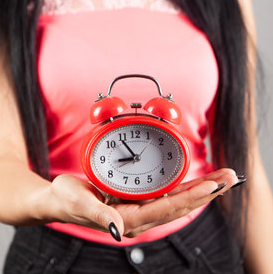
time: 8:54
